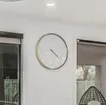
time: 4:22
